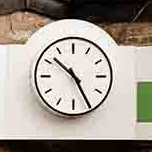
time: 10:25
